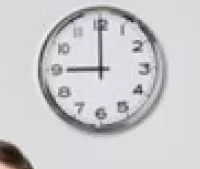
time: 9:00
